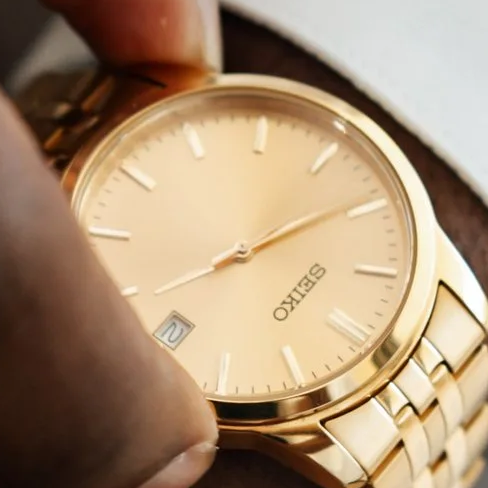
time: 8:09
